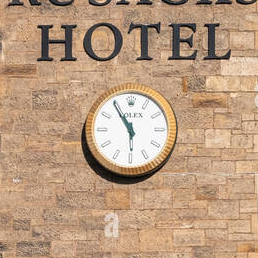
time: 5:54
